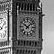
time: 10:07
